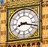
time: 8:17
